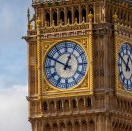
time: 12:49
